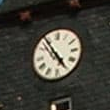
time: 4:54
